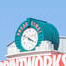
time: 3:48
